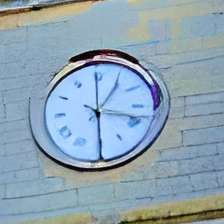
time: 1:18
